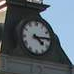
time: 4:14
